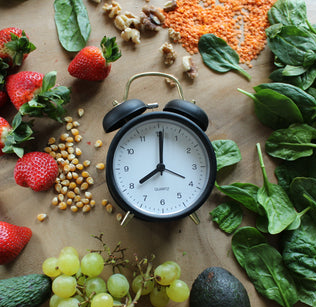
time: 8:00
